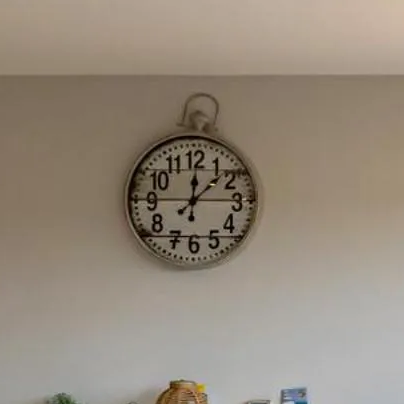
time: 12:07
